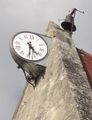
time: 4:29
